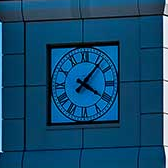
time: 4:07
